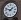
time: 1:47
